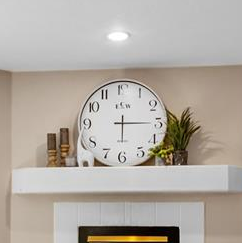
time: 6:15
